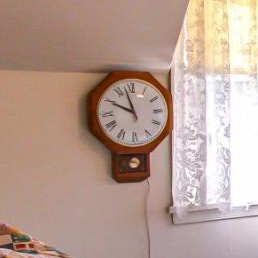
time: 9:57
